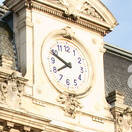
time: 7:48
